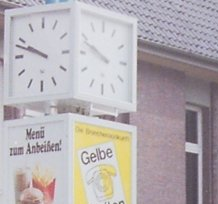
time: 9:48
